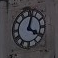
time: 4:02
